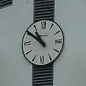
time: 10:50
